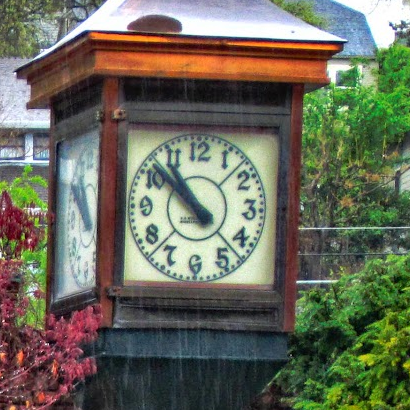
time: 10:51
